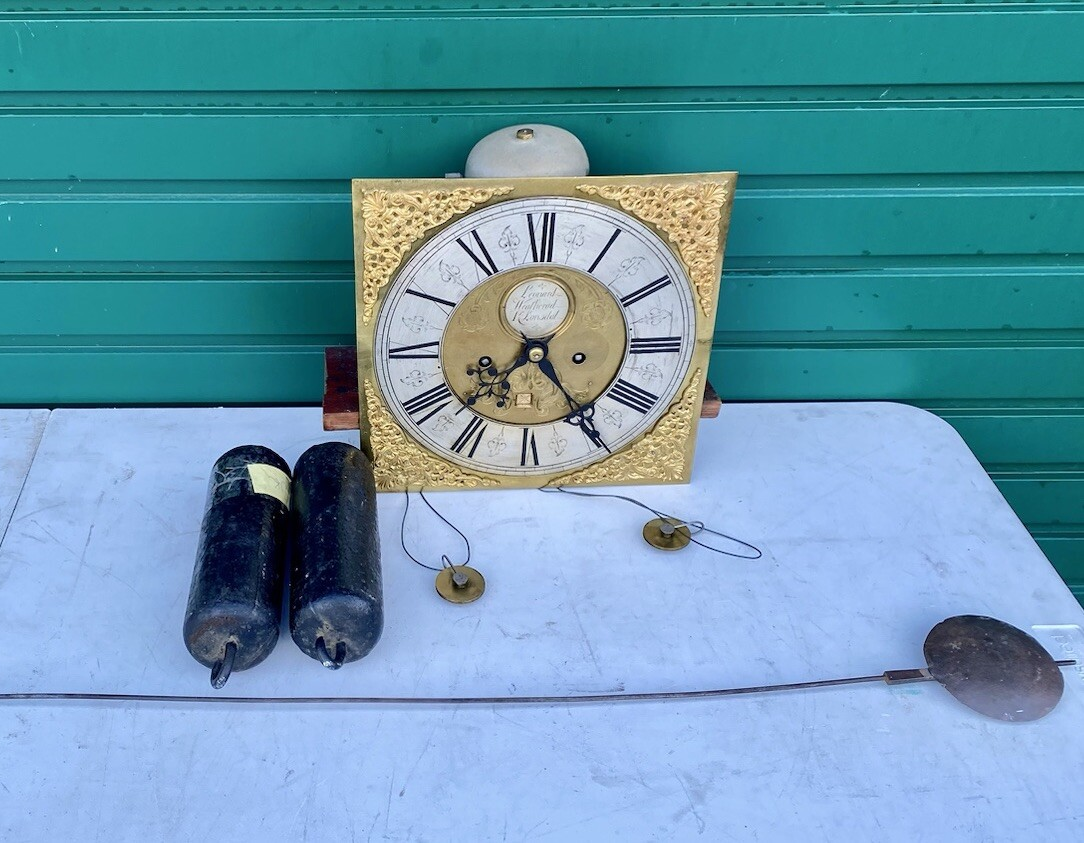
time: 7:24
